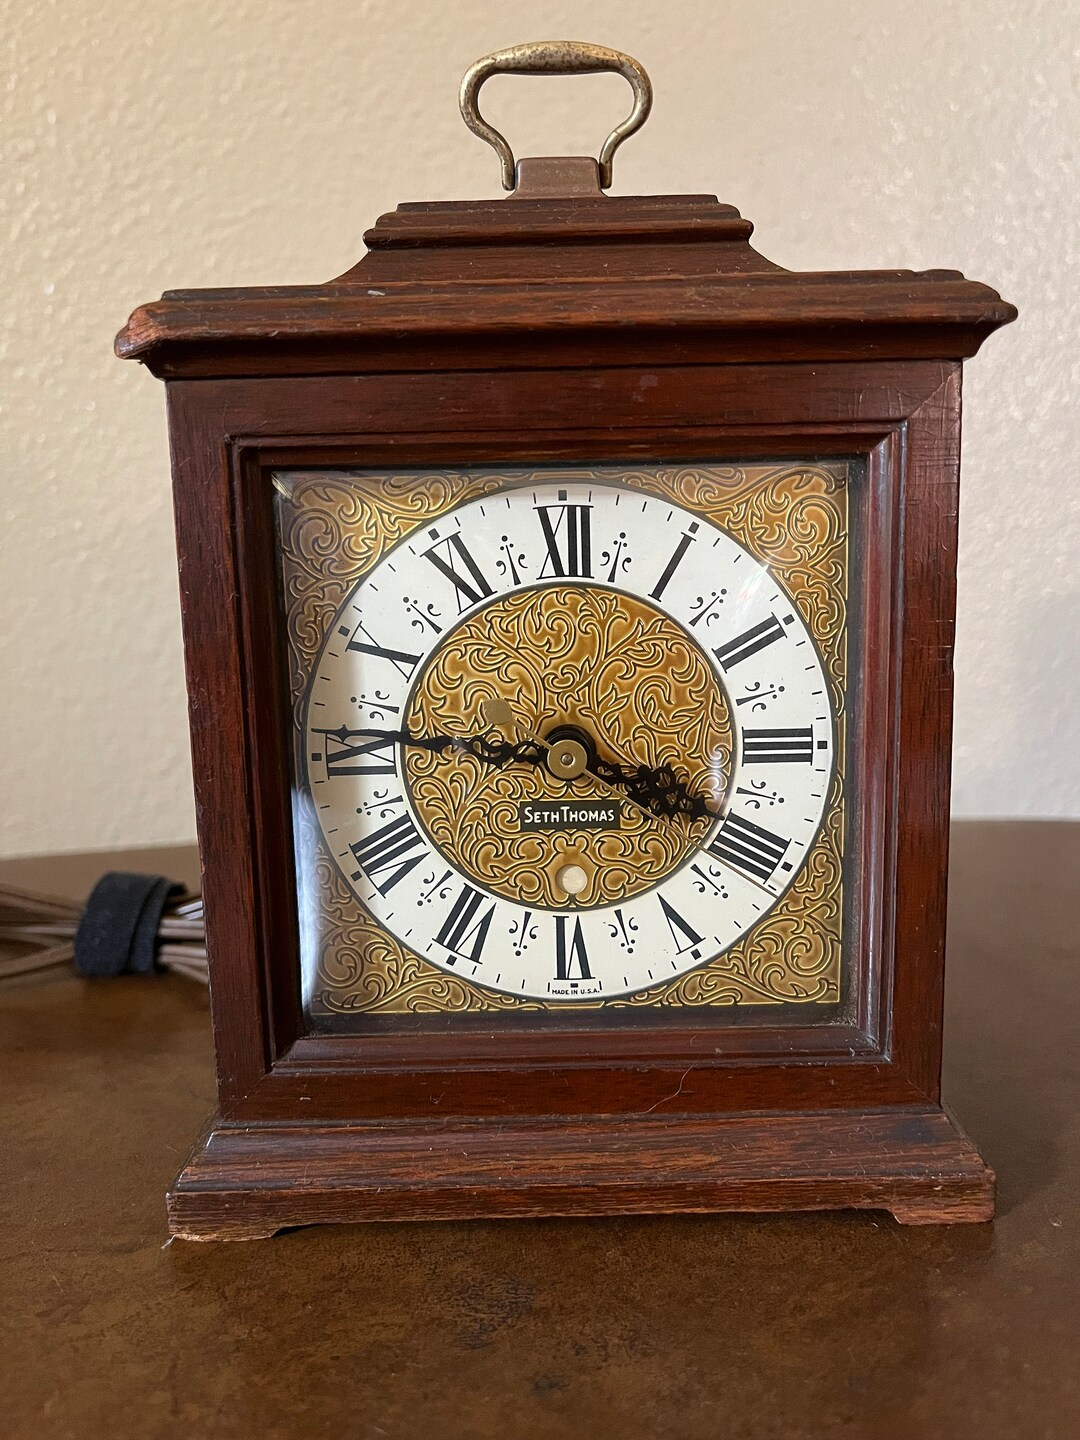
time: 3:46
